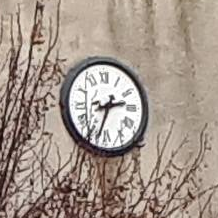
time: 2:33
